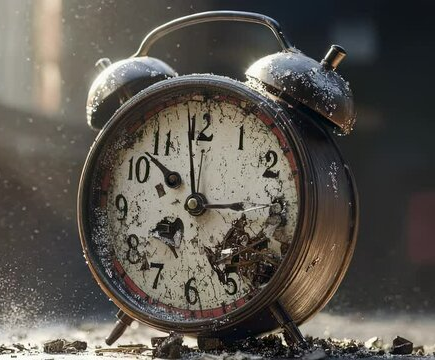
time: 2:52
